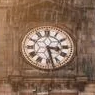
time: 3:27
